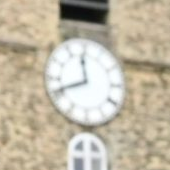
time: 11:41
